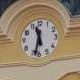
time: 11:32
